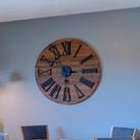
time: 6:14
